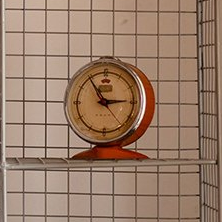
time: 2:54
